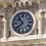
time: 10:38
